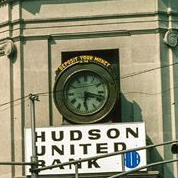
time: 6:17
